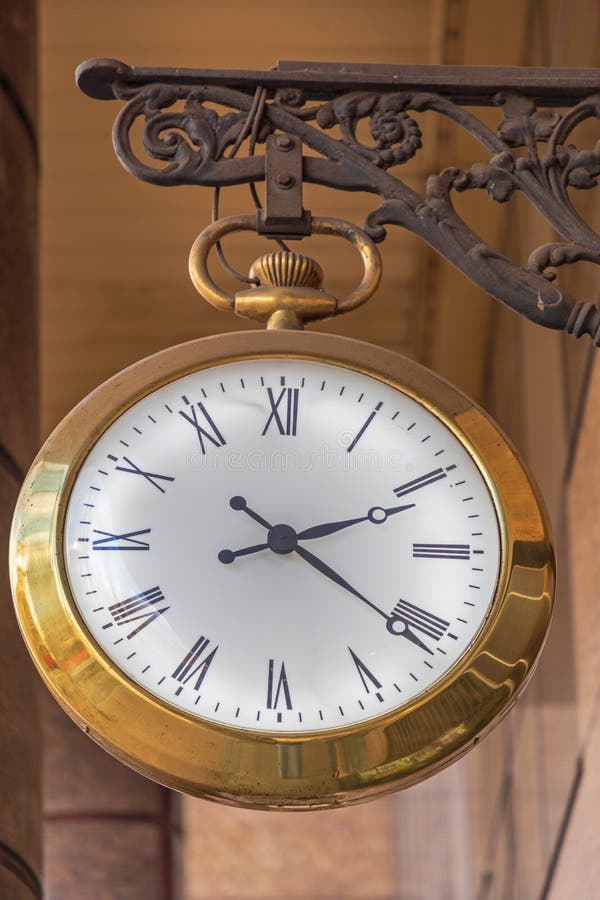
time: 2:21
